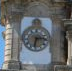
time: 6:14
